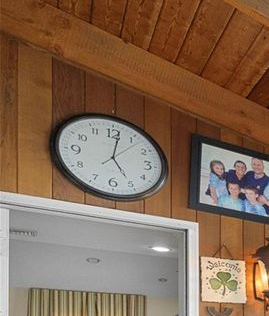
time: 5:01
